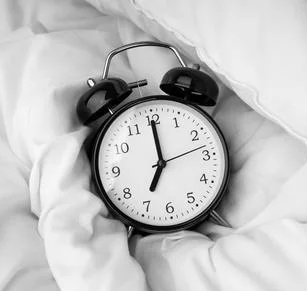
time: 7:00
